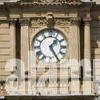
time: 1:24
